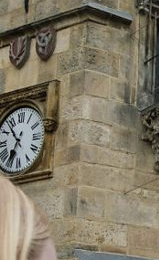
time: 6:53
